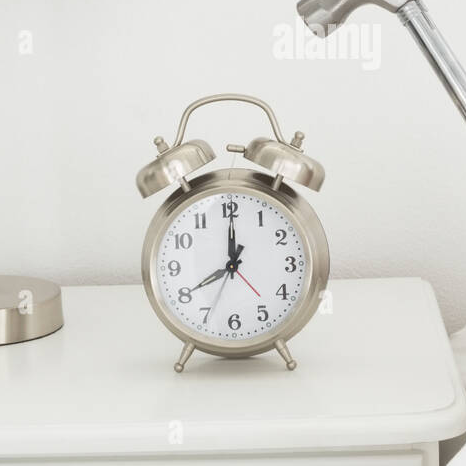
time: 8:00
